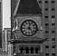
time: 12:23
